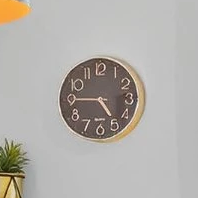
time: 4:45
